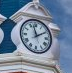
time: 1:57
